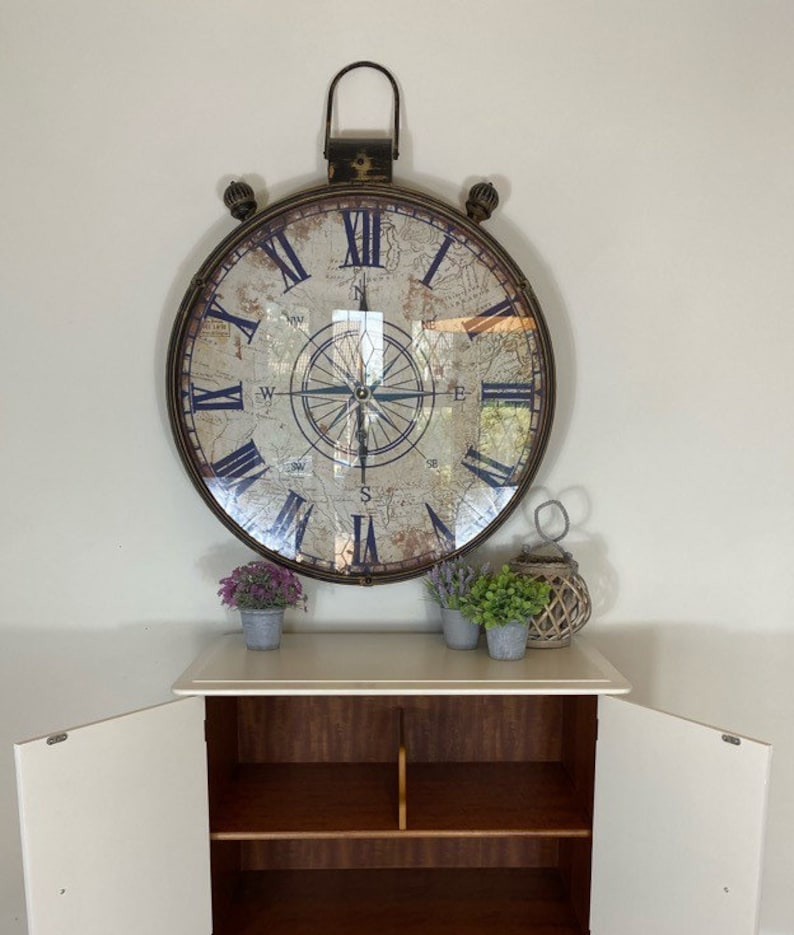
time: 6:00
